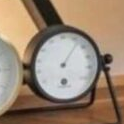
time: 5:06
